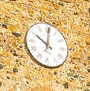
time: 10:00
